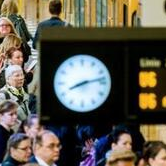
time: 8:12
